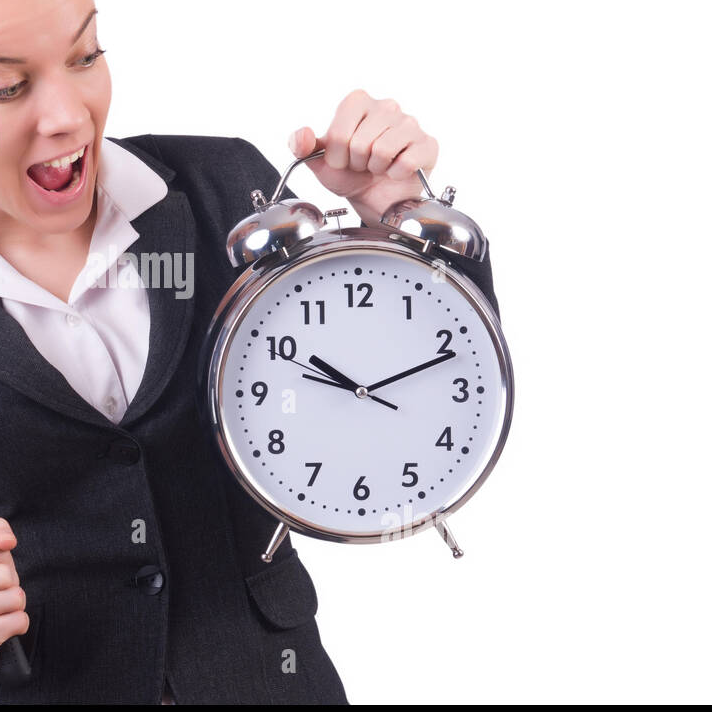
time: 10:11
